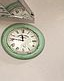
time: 11:46
